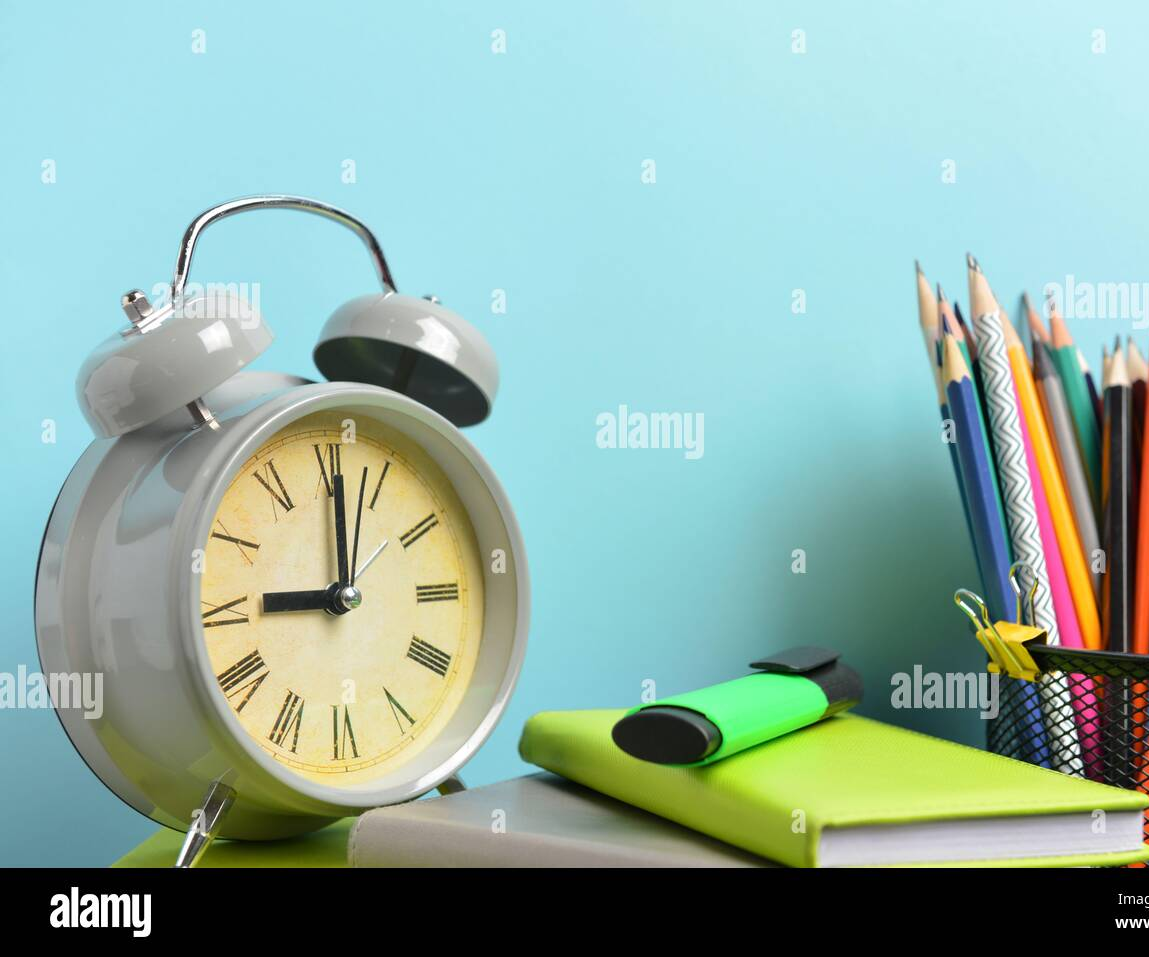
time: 9:01
